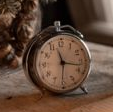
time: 11:17
